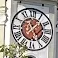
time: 5:06
